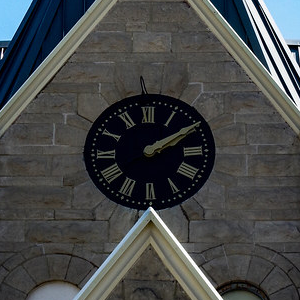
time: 2:09
